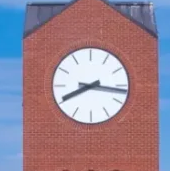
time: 8:16
